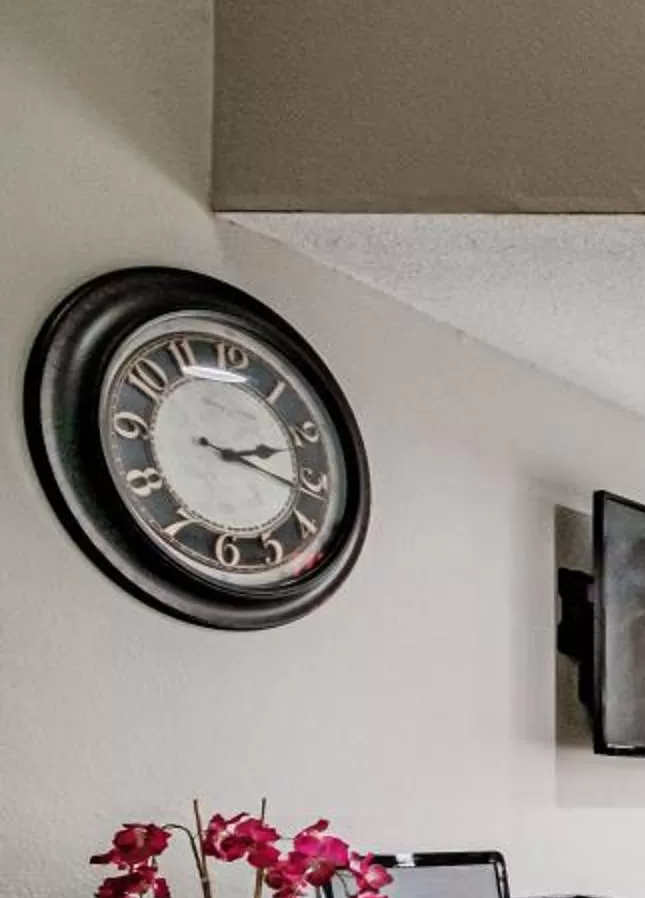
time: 2:16
